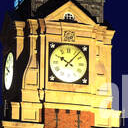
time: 10:07
